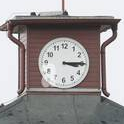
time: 3:14
